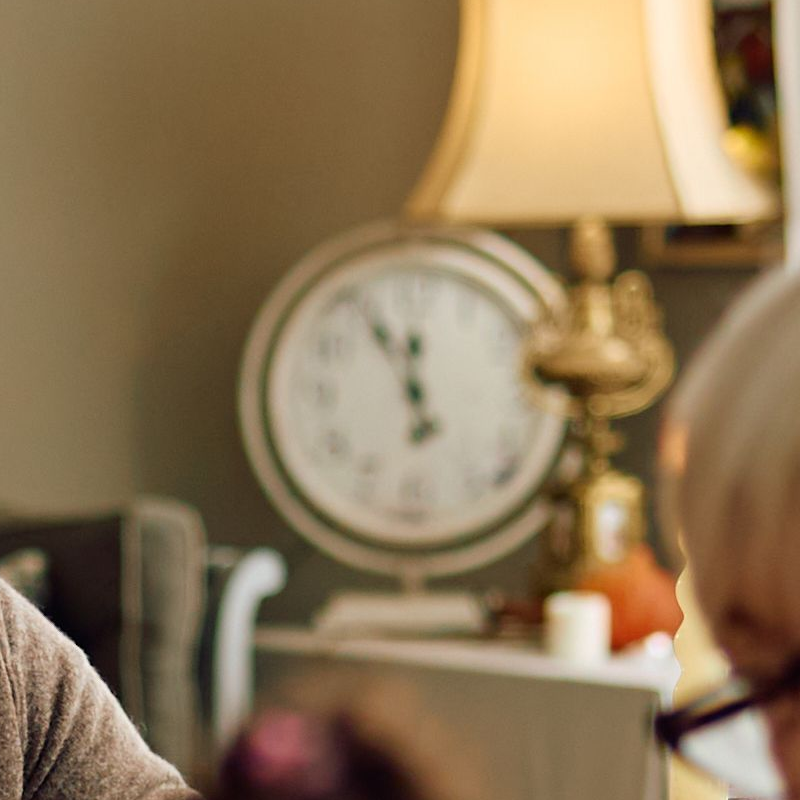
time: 11:55
